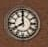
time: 7:59
